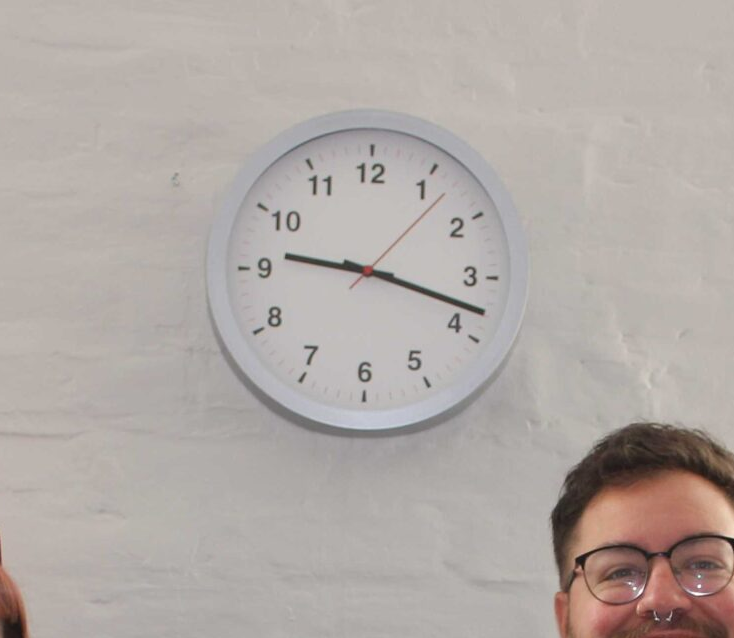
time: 9:17
